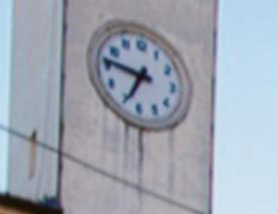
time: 6:46
